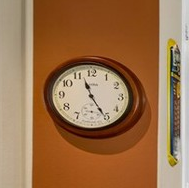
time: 11:25
